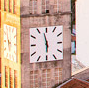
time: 5:57
